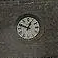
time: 12:48
